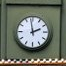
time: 1:58
